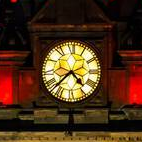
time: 4:37
